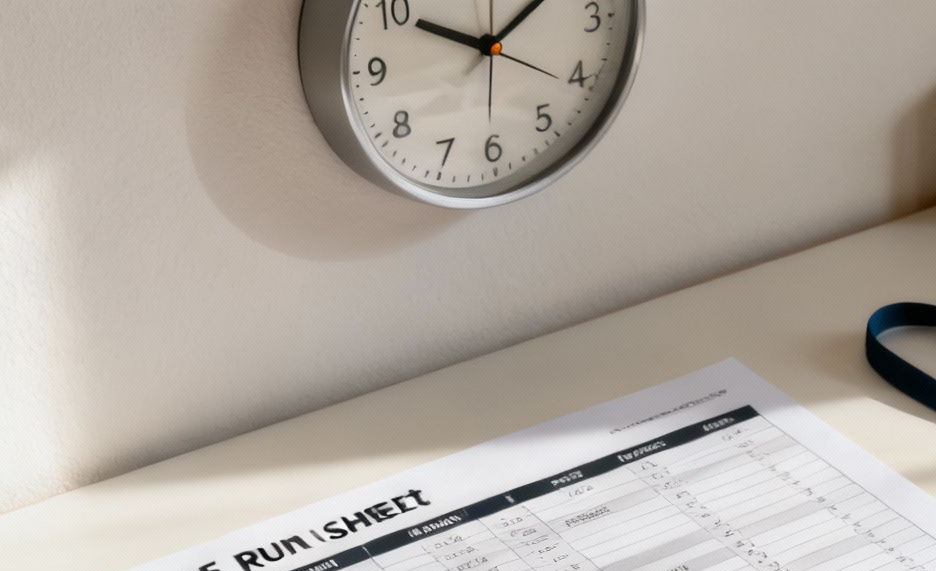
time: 1:49
